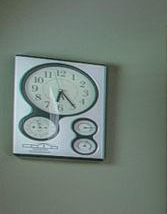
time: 6:23
